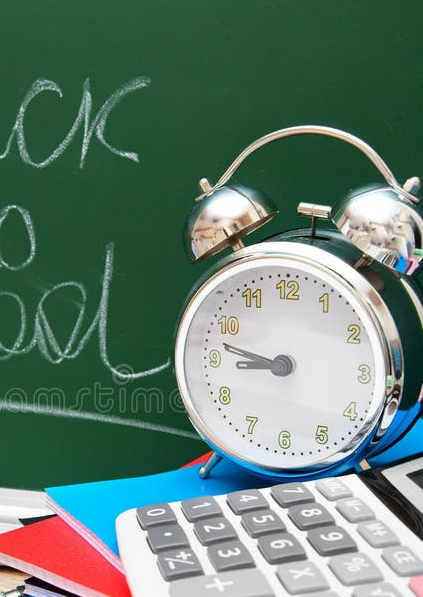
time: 8:47
